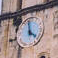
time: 3:58
